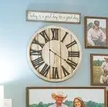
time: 6:20
